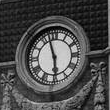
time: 5:57
